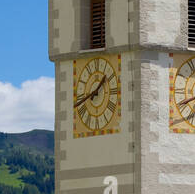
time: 1:42
